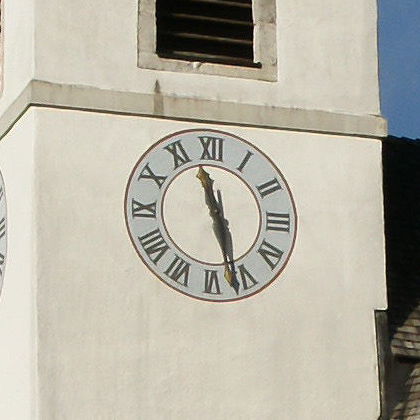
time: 11:27
